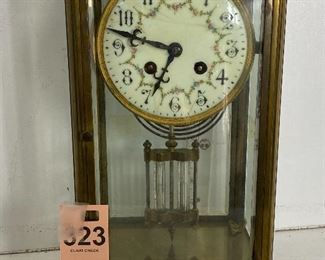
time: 6:47
